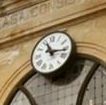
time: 11:16
